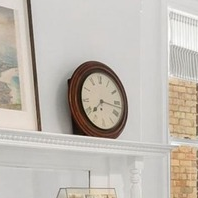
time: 7:16
